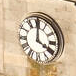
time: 4:00
